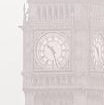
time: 10:27
